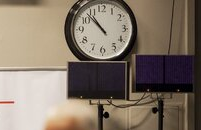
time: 10:52
